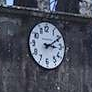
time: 3:10
